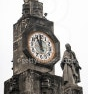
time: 10:59
